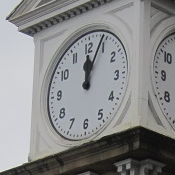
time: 12:03
